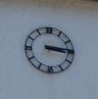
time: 3:14
